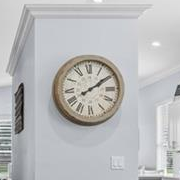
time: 2:09
